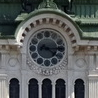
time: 4:14
